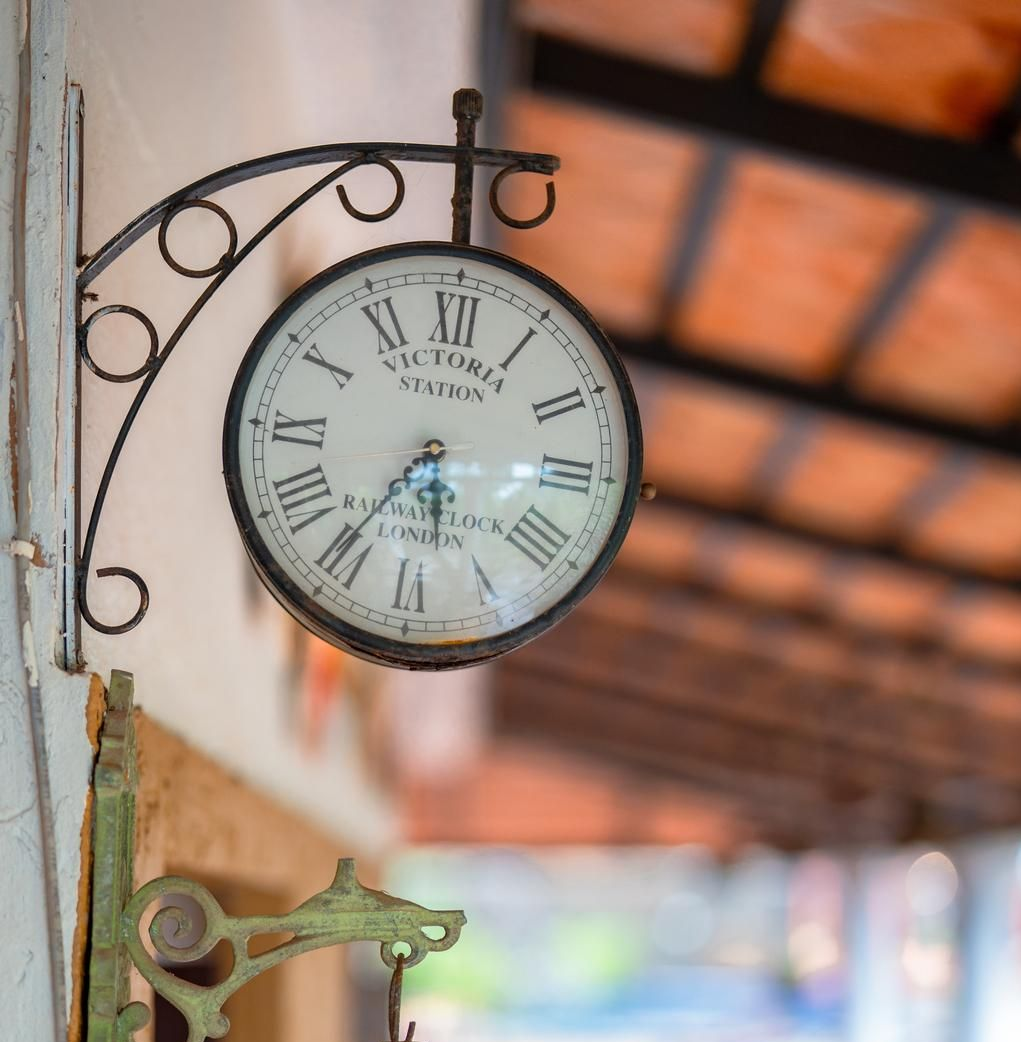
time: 5:35
